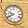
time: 9:40
